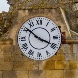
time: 3:51
